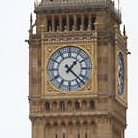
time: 1:22
